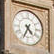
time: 4:34
